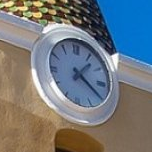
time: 1:20
